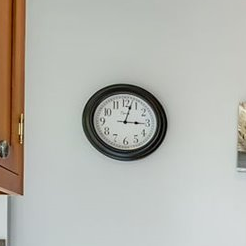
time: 3:02
